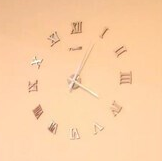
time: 4:04
